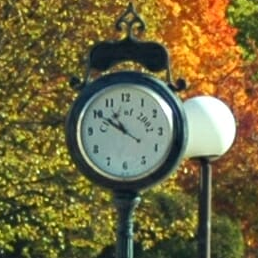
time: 10:50
